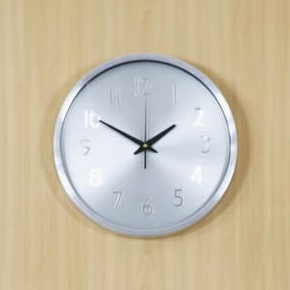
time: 1:50
